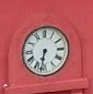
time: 6:32
